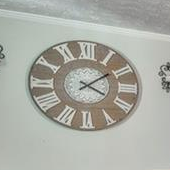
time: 4:09
